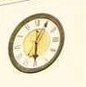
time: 6:04
